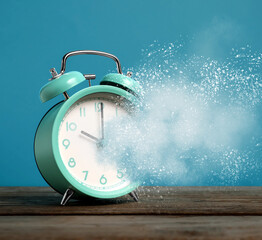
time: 10:00
